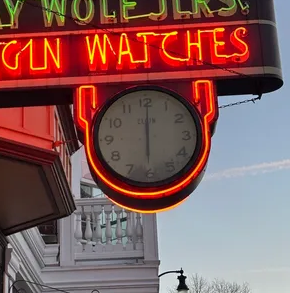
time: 6:00
